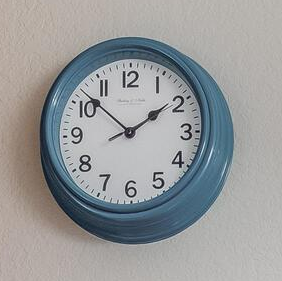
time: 1:51
